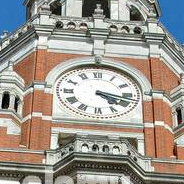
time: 4:17
